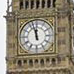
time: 11:57
